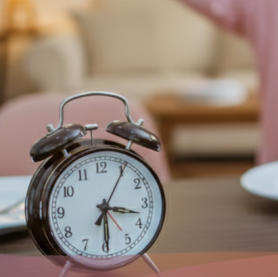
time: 3:29
